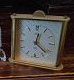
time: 12:21
